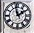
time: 1:57
